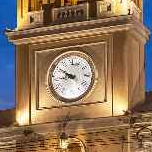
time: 8:49
